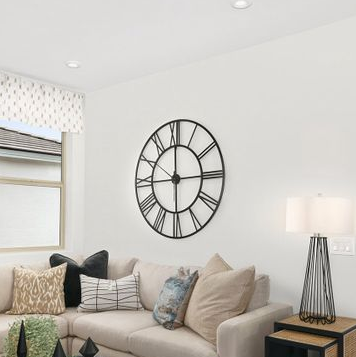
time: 6:00
